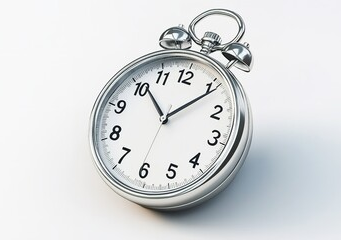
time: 10:06
